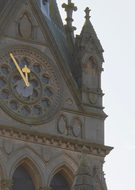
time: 11:55
